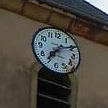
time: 7:09
